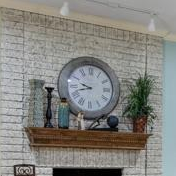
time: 9:42
